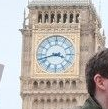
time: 3:42
